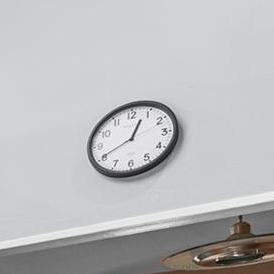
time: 12:40
